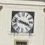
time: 3:47
